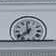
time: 11:37
